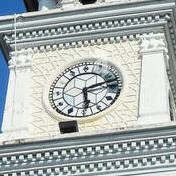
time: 2:29
